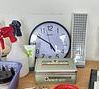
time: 4:49
